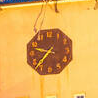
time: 9:36
